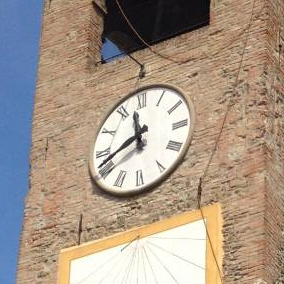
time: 11:41
